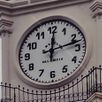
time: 12:12
